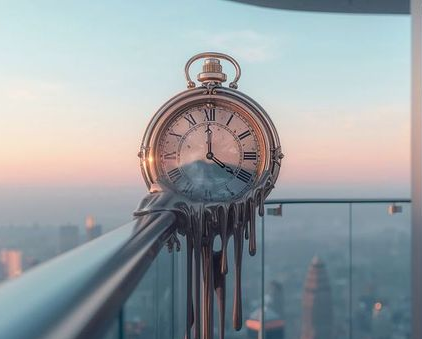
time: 3:59
